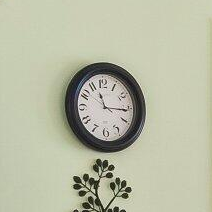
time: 11:15
